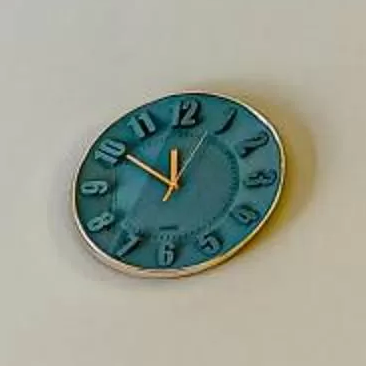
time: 11:50
